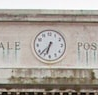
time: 6:37
